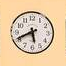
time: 5:40
